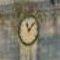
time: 11:07
